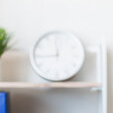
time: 11:44
